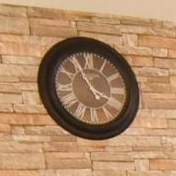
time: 3:55
